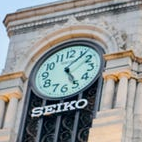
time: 5:06
